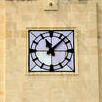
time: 11:07
